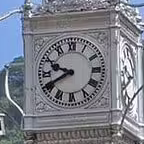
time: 9:40
